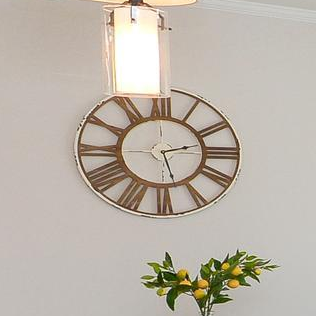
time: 2:27
